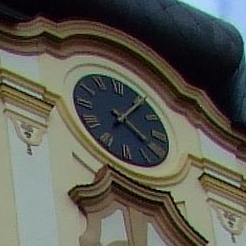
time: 4:06
